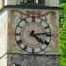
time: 4:13
